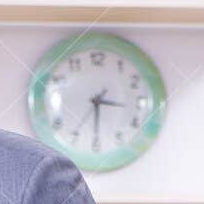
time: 3:30
